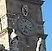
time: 4:33
